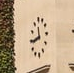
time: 11:43
